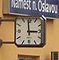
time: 2:59
